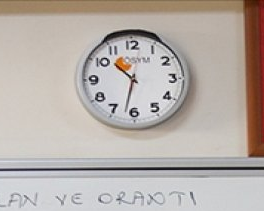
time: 10:32
